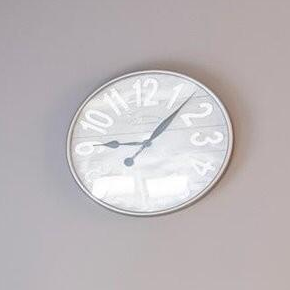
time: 9:07
